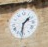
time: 1:32
